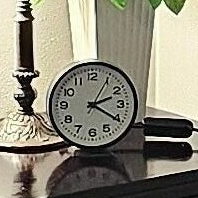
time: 2:20
